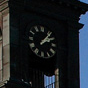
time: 2:06
